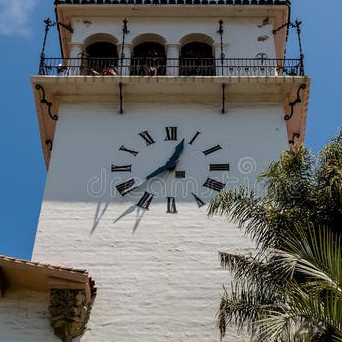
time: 12:38
